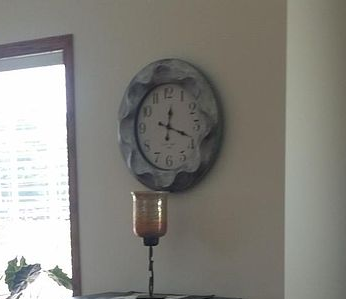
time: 12:18
